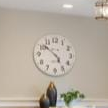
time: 4:51
